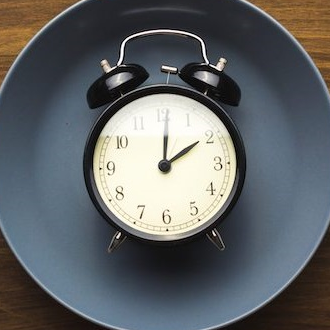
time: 2:00
